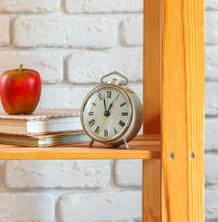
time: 12:57
